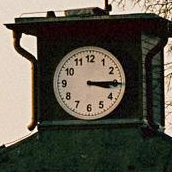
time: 3:14
